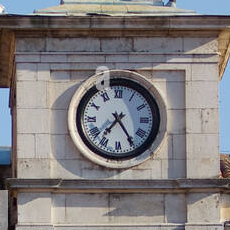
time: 7:24
